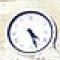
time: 4:26
